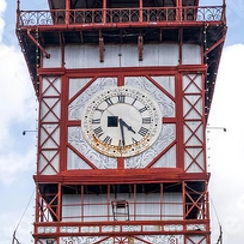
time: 4:28
